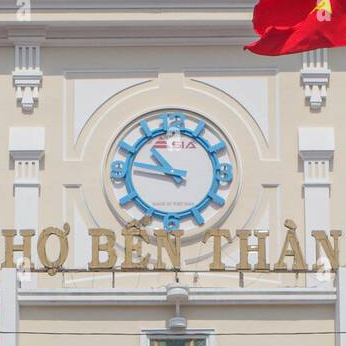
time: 10:47
